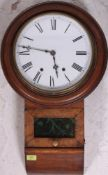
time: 5:46
